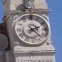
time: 2:22
